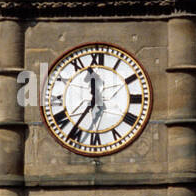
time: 11:35
